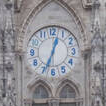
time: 12:34
